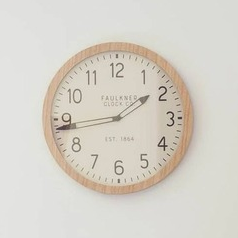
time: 1:43
